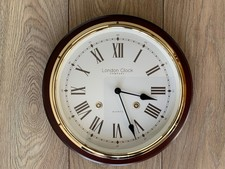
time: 3:26
